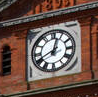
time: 12:40
